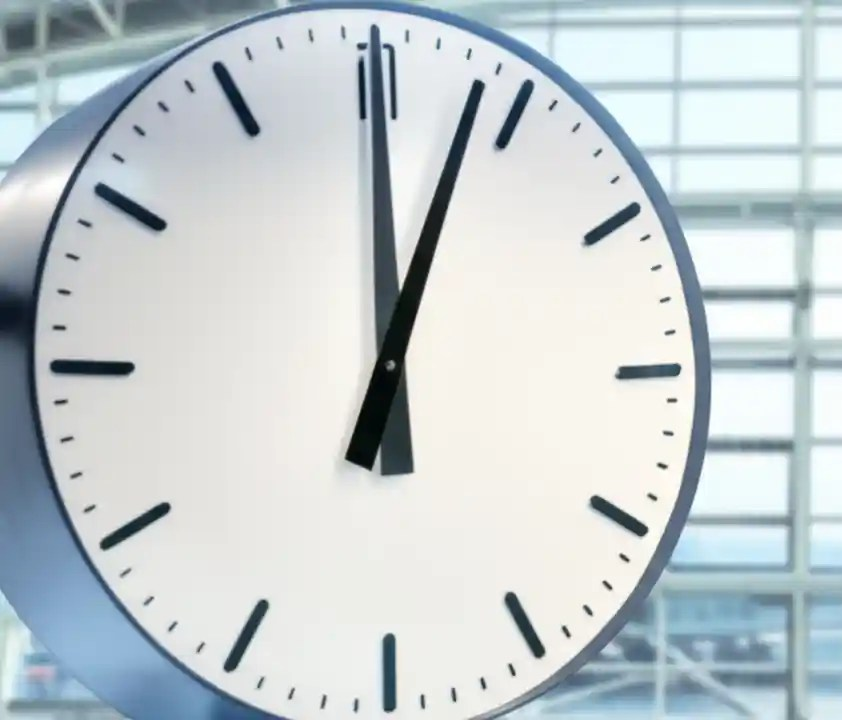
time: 12:03
